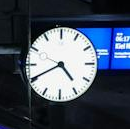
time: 4:40
